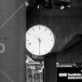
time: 10:30
